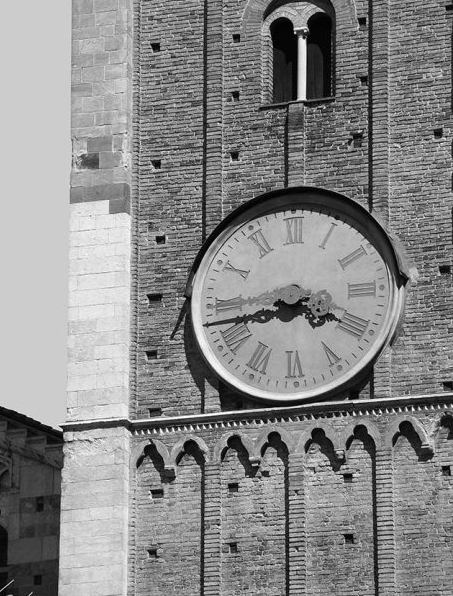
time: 3:42
